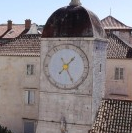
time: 1:25
